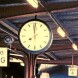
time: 7:58
